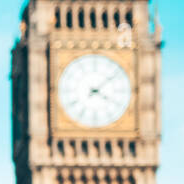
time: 4:08
